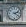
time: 2:21
